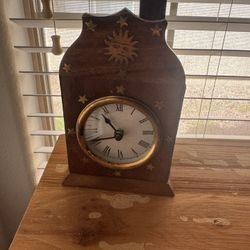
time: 10:41
